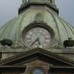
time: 5:36
